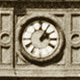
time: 2:05
